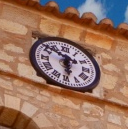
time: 5:51
